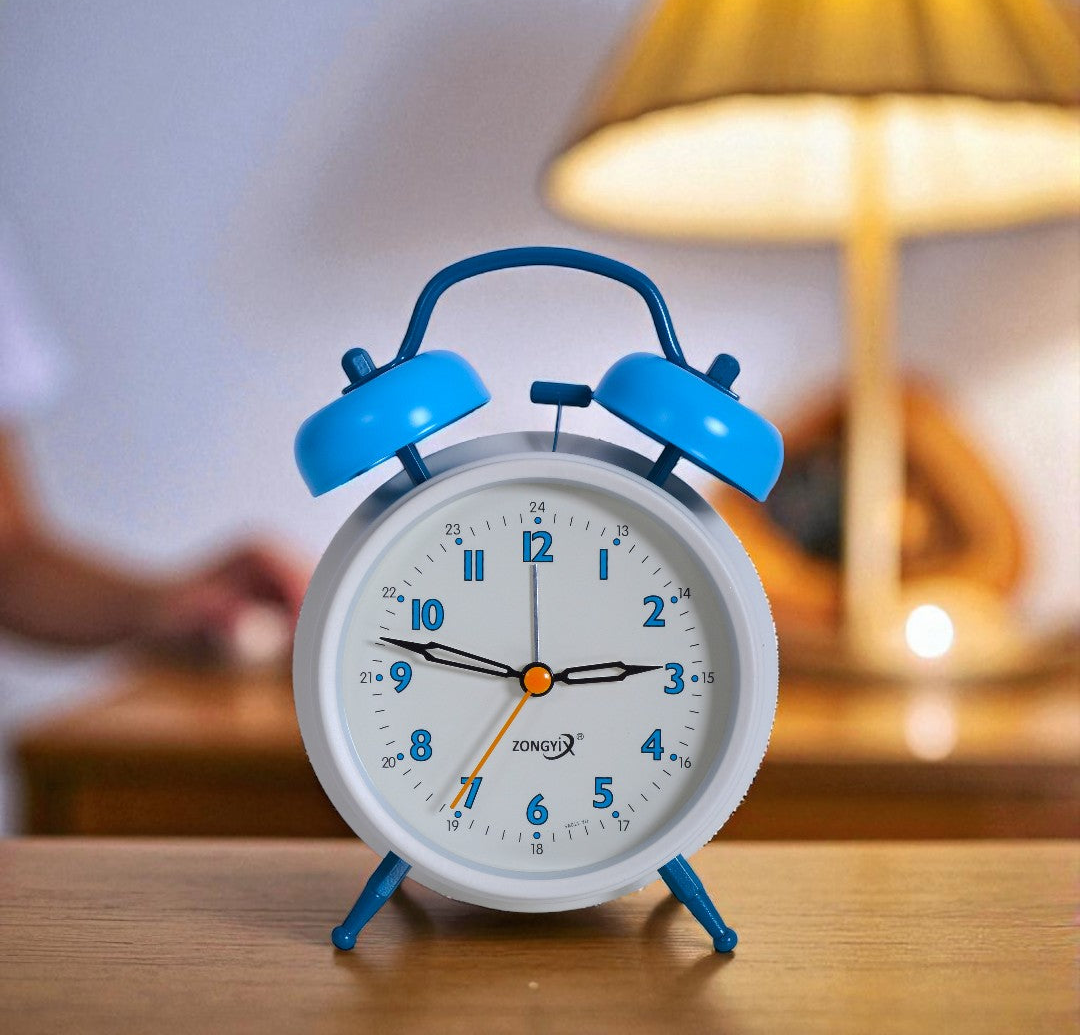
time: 2:47
